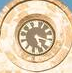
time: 5:16
